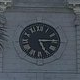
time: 5:14
